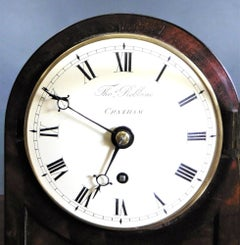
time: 6:49
